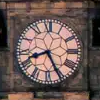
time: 8:25
